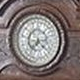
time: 7:21
